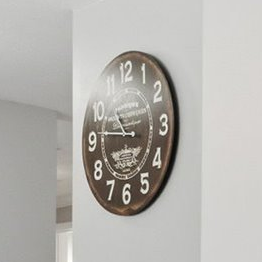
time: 10:46
